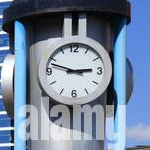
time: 2:48
